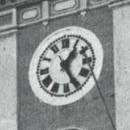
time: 1:25
